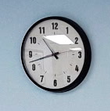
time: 10:42
